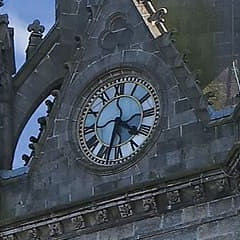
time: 4:33
